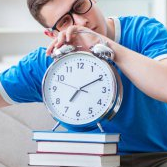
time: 7:10
